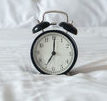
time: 7:00
